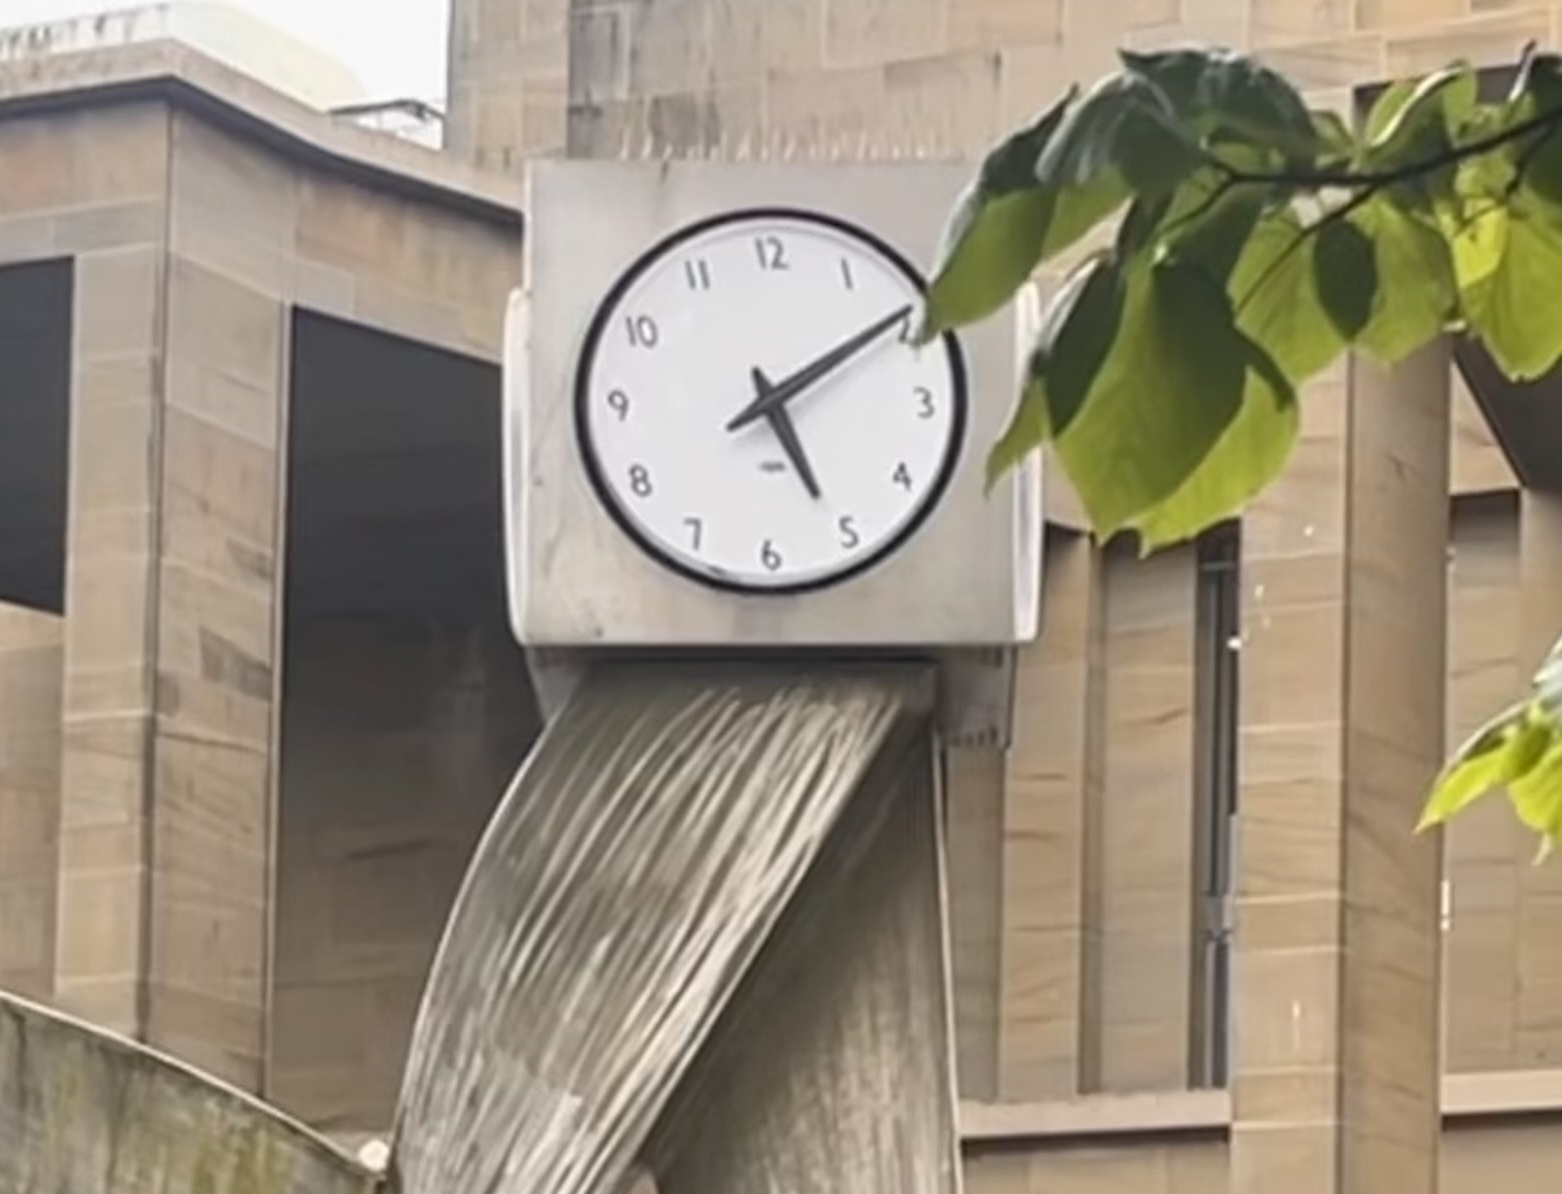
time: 5:09
